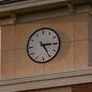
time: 3:24
